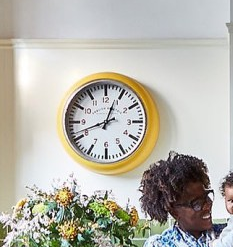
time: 12:41
